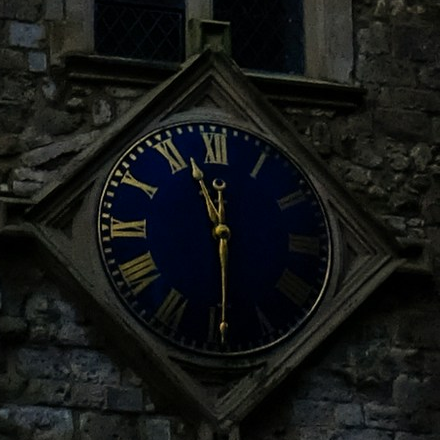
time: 11:29
